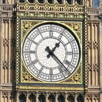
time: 1:22
